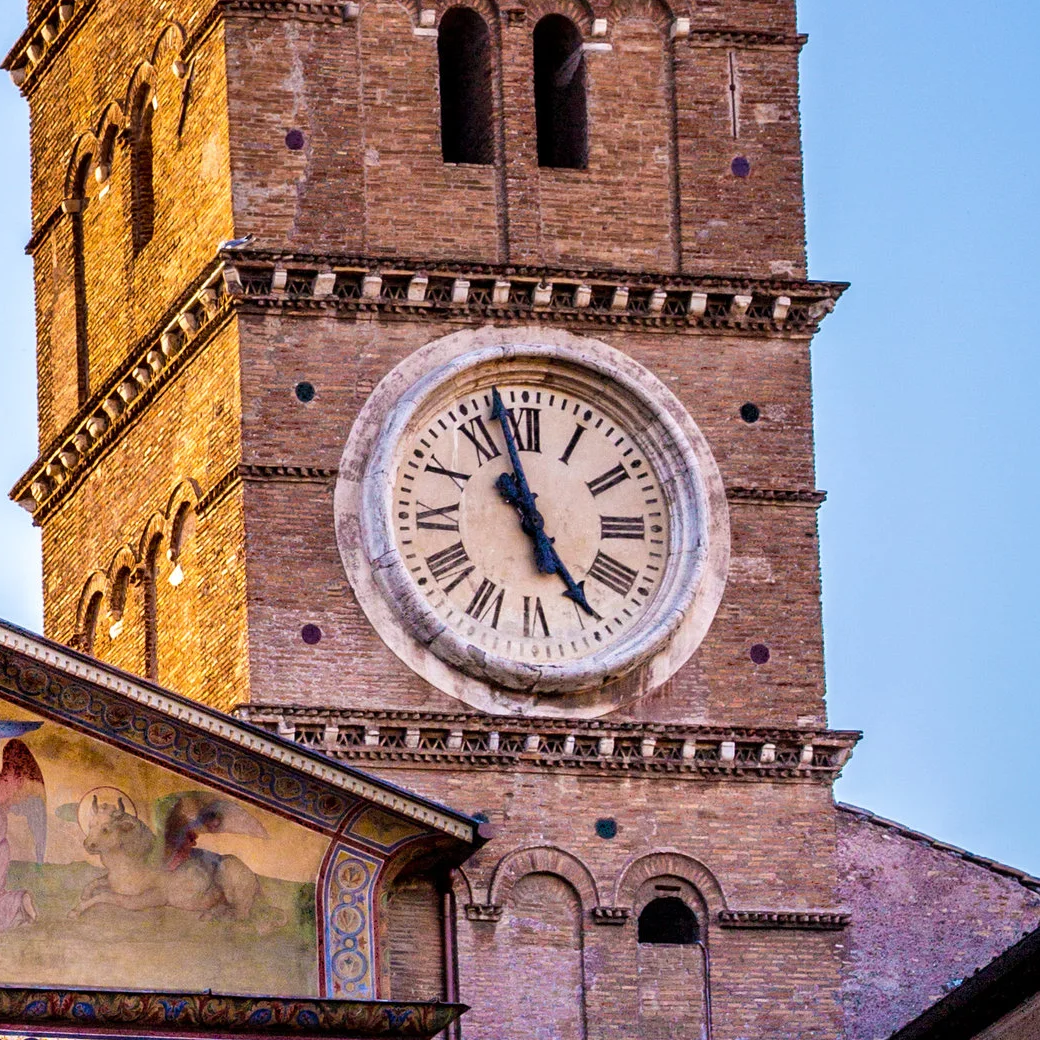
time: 4:57
